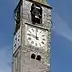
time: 11:46
